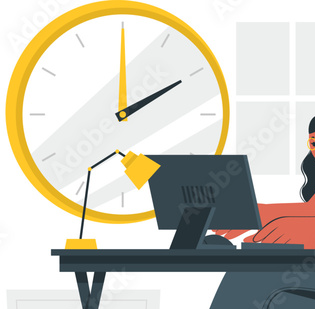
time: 2:00
